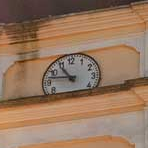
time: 10:47
